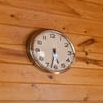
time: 5:32
